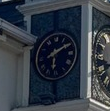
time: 6:10
